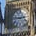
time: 2:46
